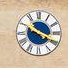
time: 10:19
